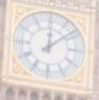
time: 12:08
